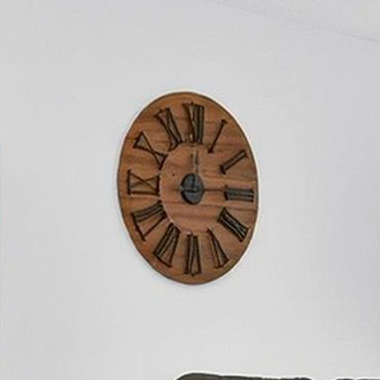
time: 12:14
